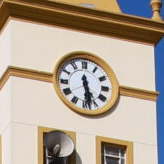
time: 5:28
